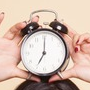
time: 7:00
